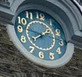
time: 1:46
